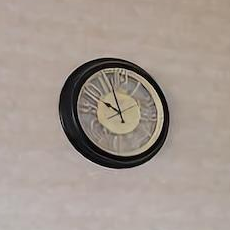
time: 9:56
